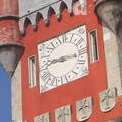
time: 9:16
